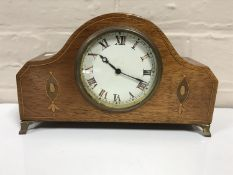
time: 10:18
